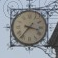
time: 3:36
